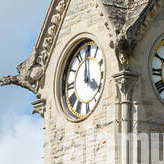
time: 4:00
